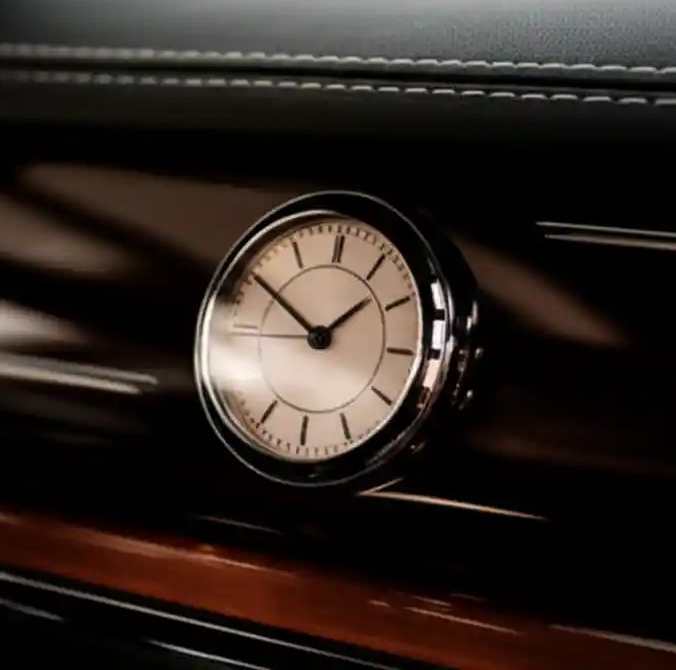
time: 1:50
